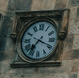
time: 7:18
